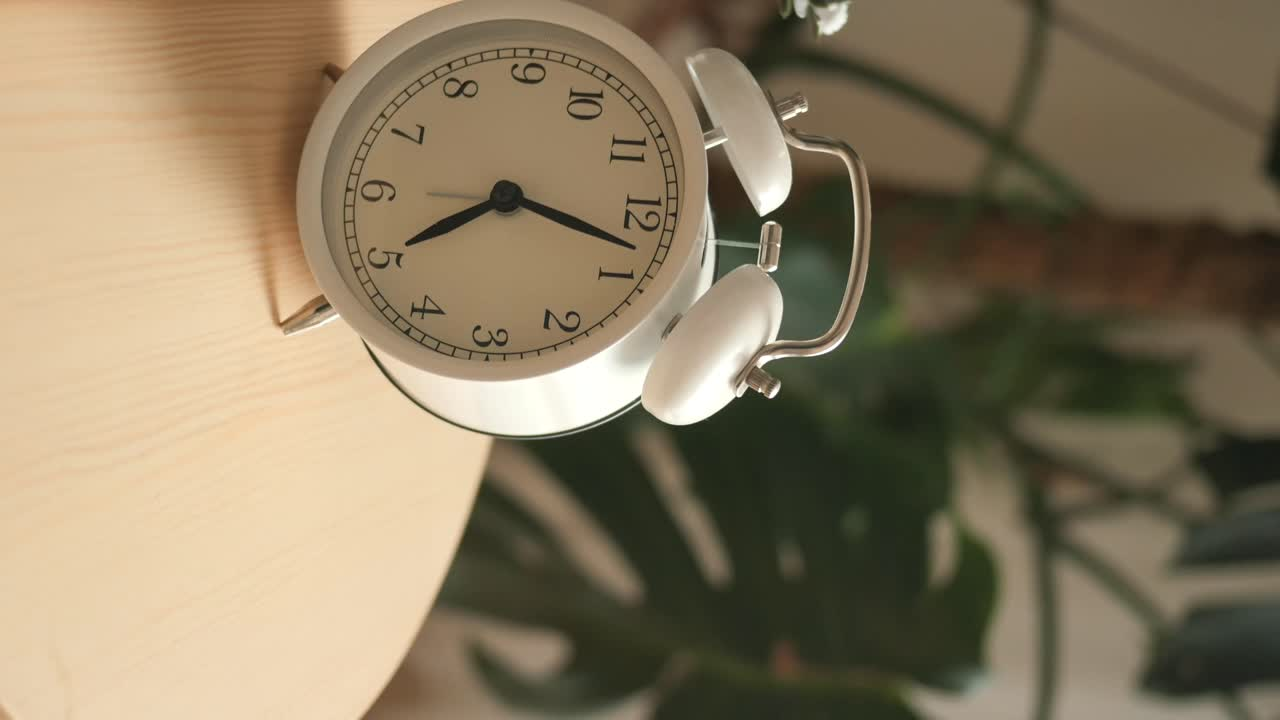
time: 8:17
